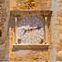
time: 8:12
